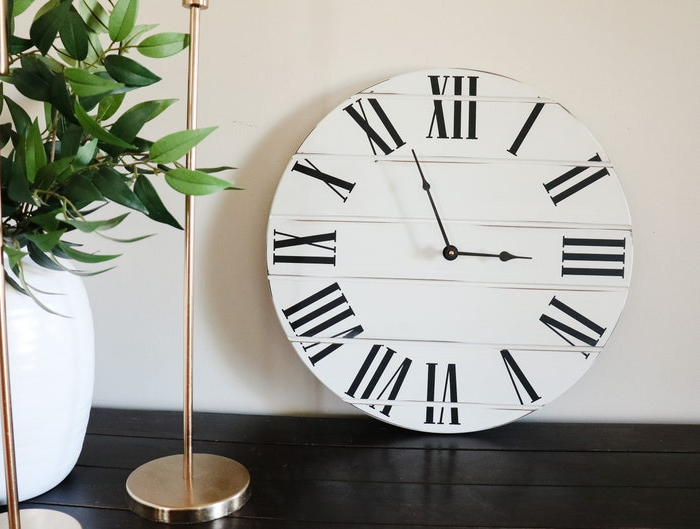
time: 2:56
